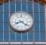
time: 8:21
